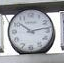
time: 10:13
